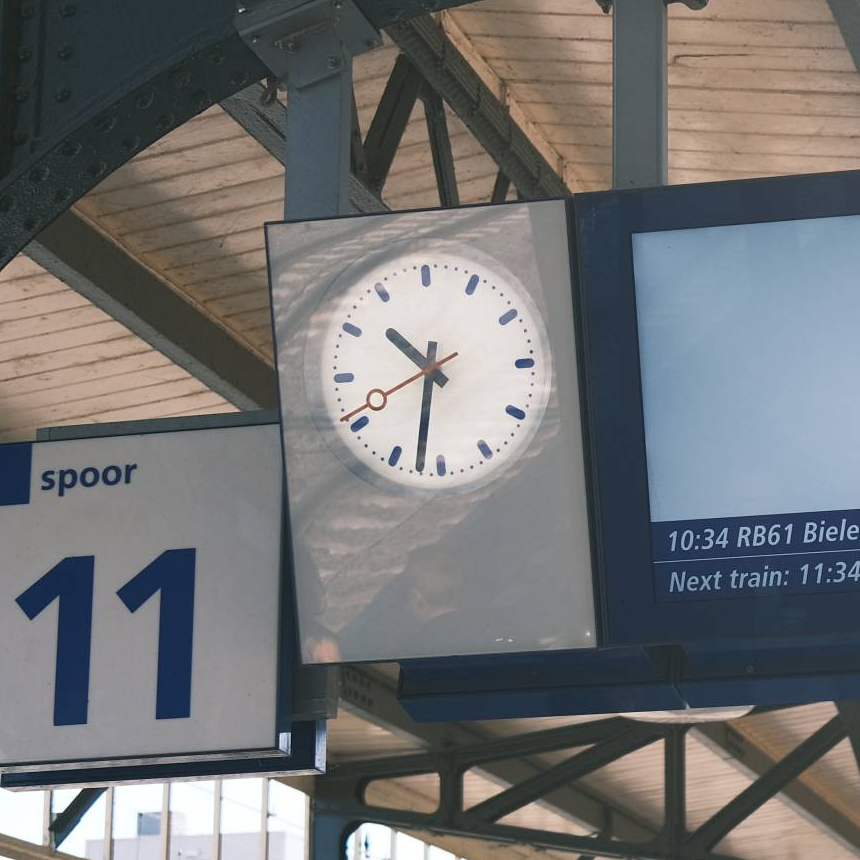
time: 10:32
